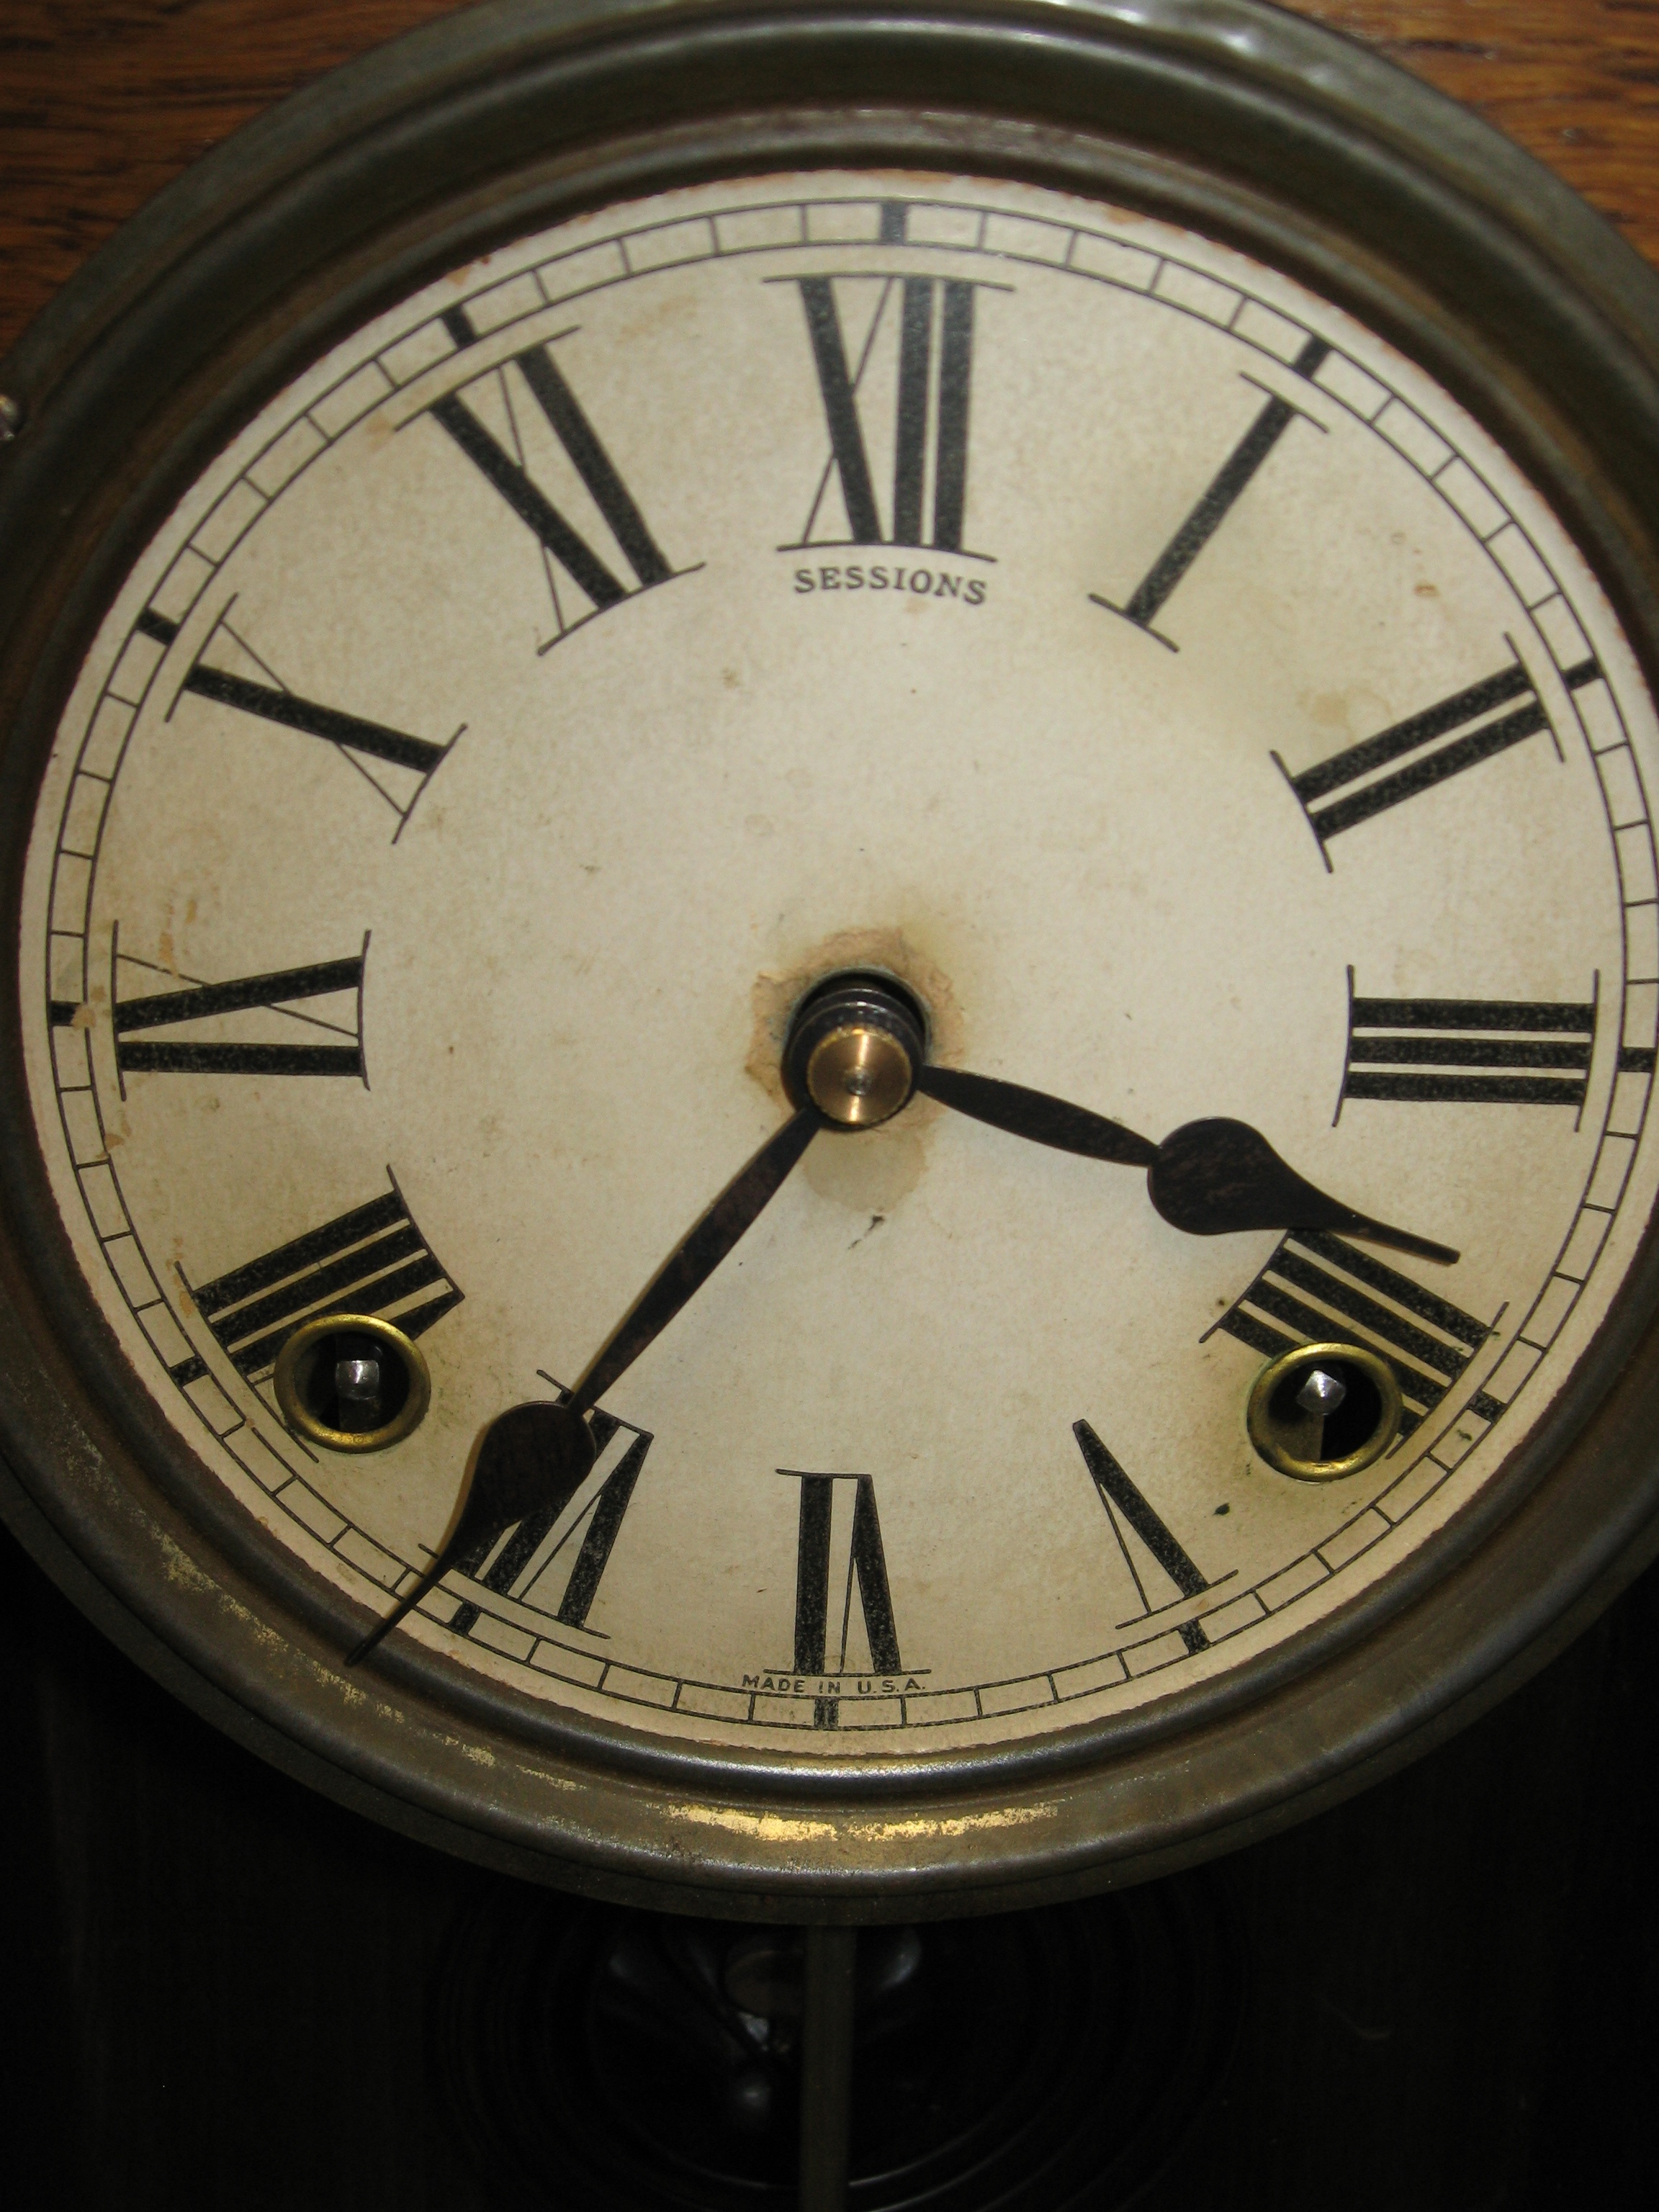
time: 3:36
